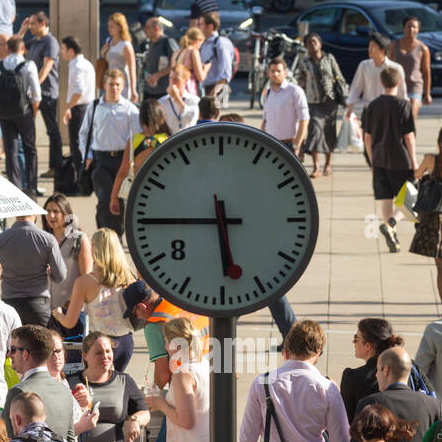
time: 5:45
